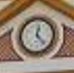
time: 12:23
